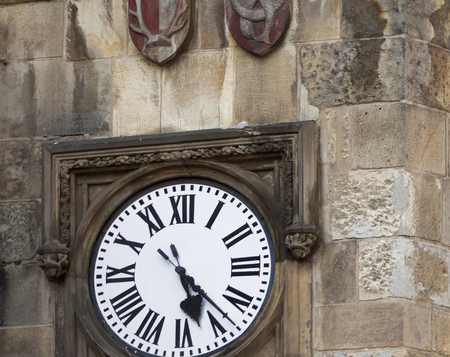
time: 5:23
